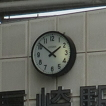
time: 1:51
